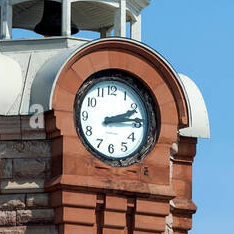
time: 2:14
